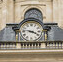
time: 3:46
